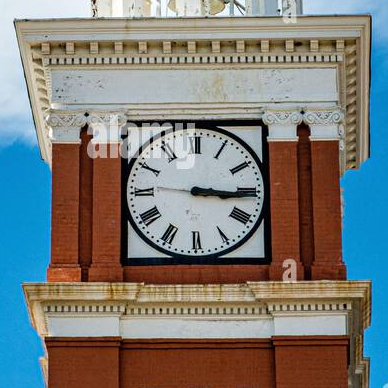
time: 3:15
